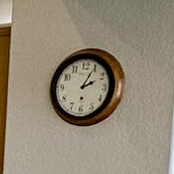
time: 2:04
